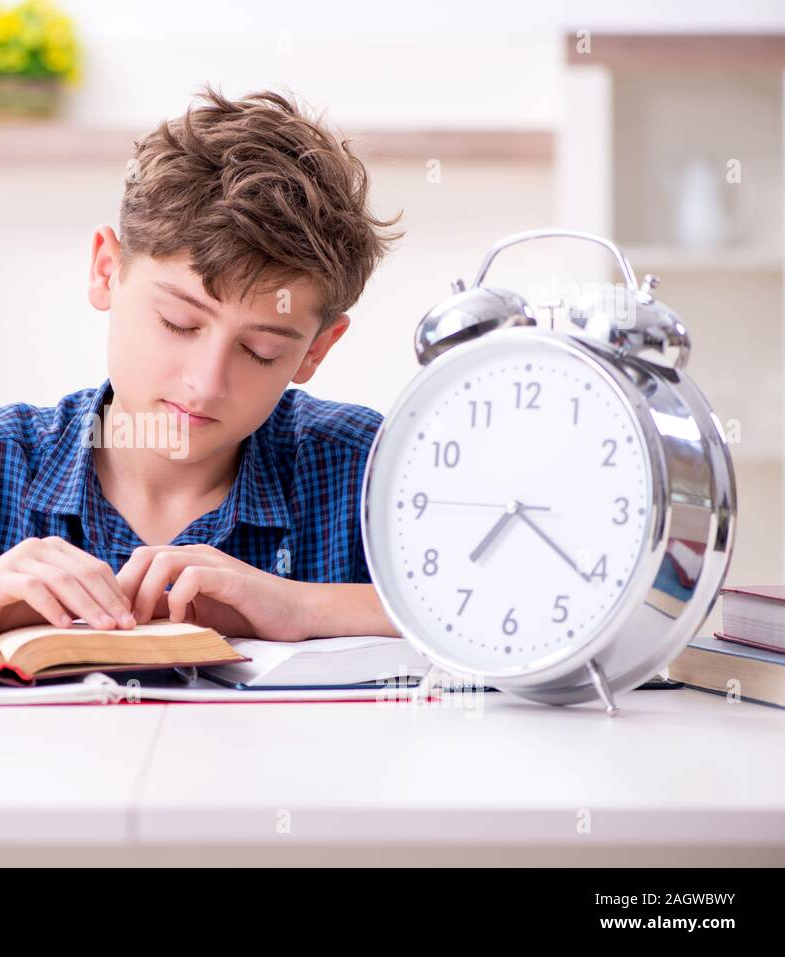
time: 7:21
